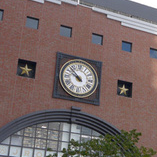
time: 9:52
